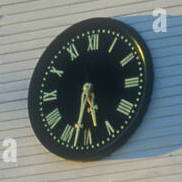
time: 5:32
